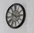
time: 10:14
